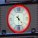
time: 4:29
